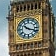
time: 10:18
